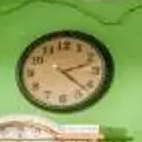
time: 2:22
